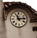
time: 11:13
